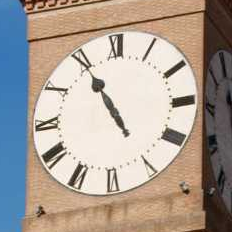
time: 10:54
